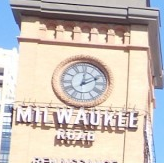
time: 2:01
